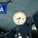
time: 8:32
